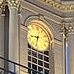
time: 8:32
